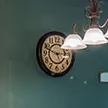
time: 2:48
